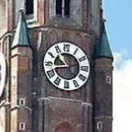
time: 10:42
